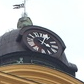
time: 4:04
